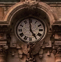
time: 4:59
